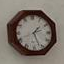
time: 1:26
